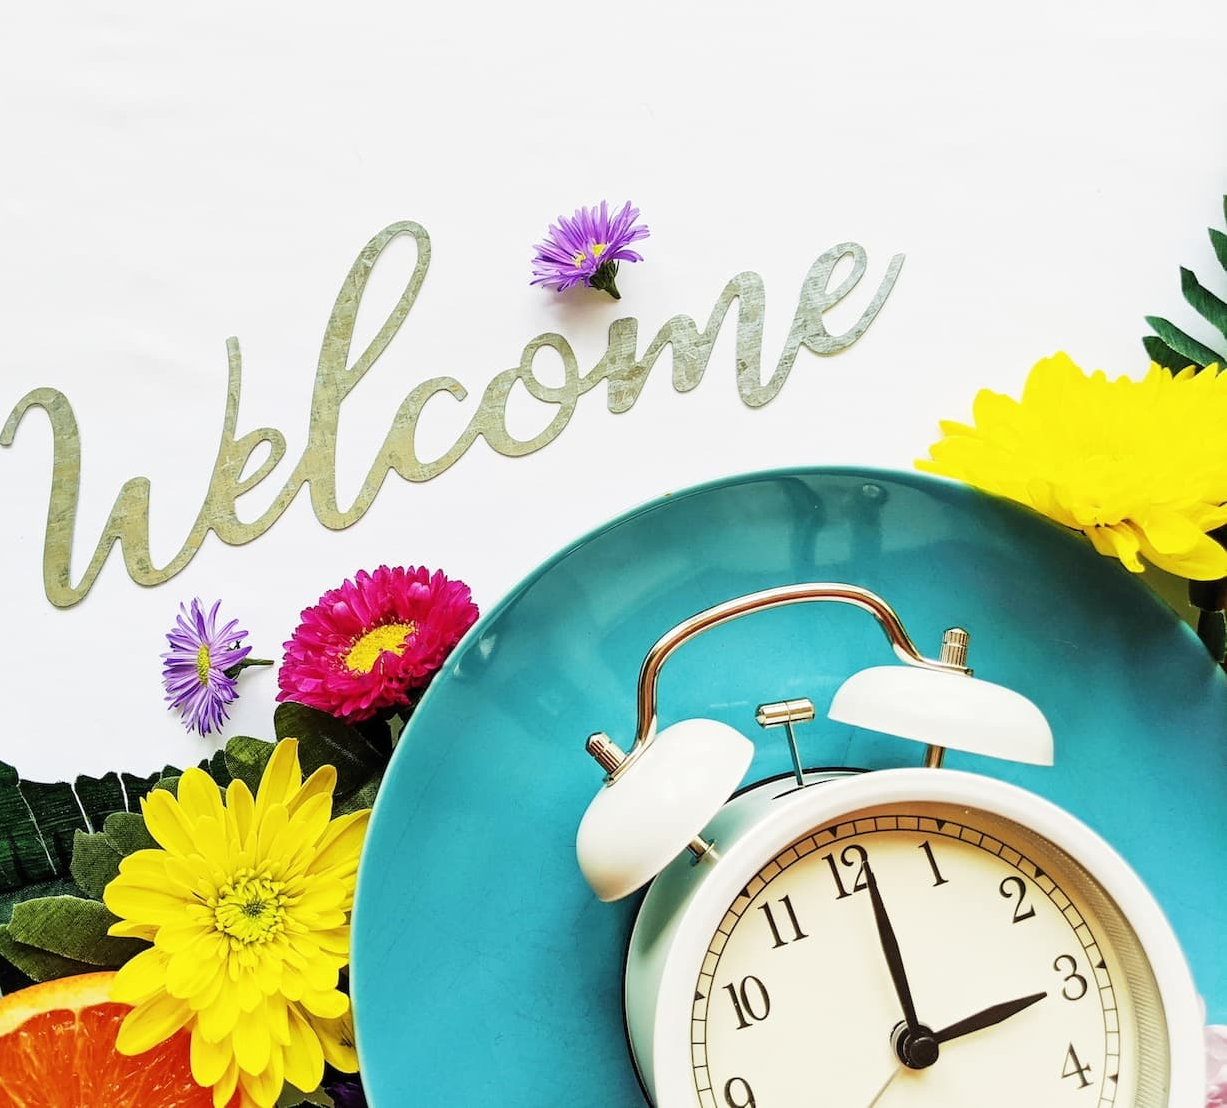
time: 3:01
